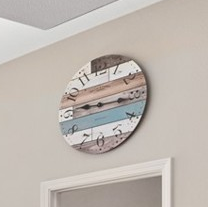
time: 9:15
